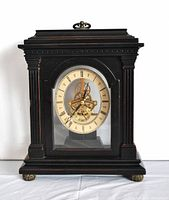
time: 12:37
